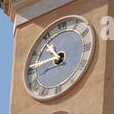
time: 10:45
